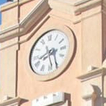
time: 8:26
